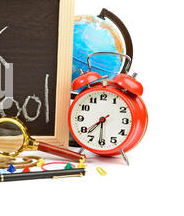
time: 7:30
